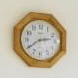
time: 2:39
